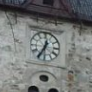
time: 12:34
